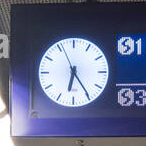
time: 6:24
